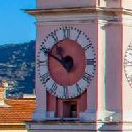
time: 10:49
